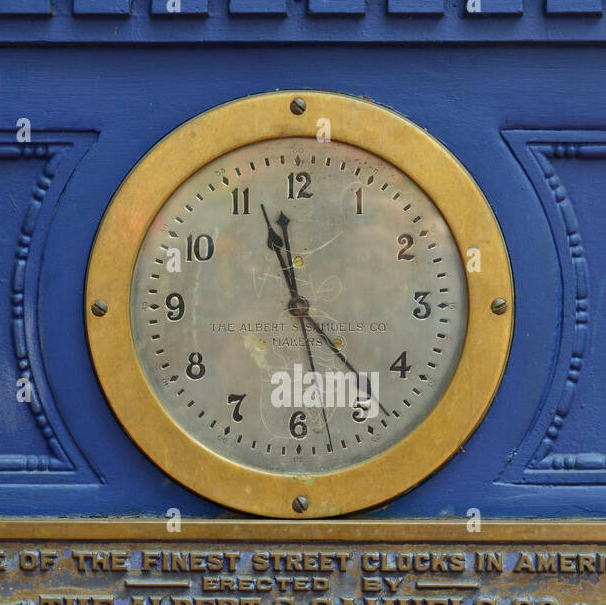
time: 11:23
